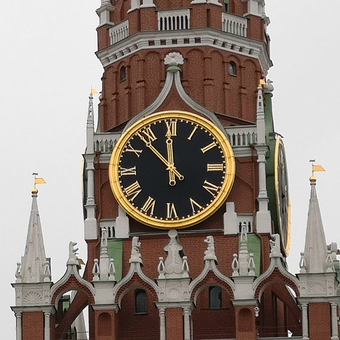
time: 11:53
